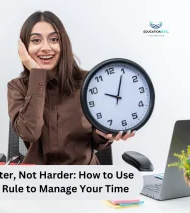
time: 10:04
